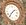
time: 1:36
